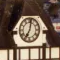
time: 7:02
